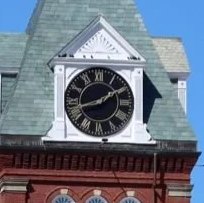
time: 1:42
